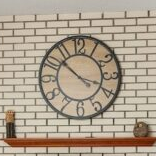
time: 3:52
